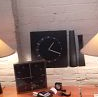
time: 1:18
